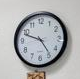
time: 4:48
